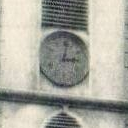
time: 3:02
